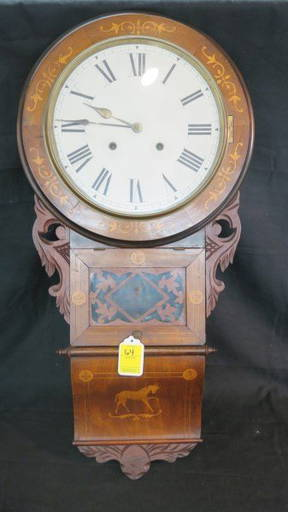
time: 9:45
